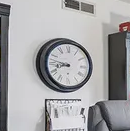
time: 8:47
